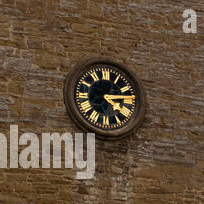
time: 4:13
